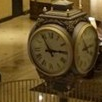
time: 2:54
